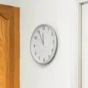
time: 11:55
